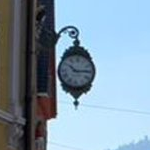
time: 10:14
